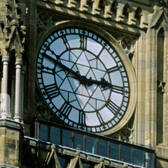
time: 2:48
